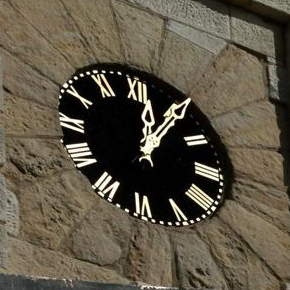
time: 12:05
